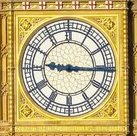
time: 9:15
